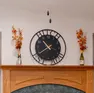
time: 10:38
